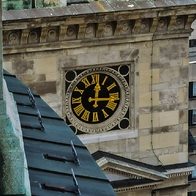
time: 12:16
